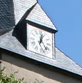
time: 12:23
